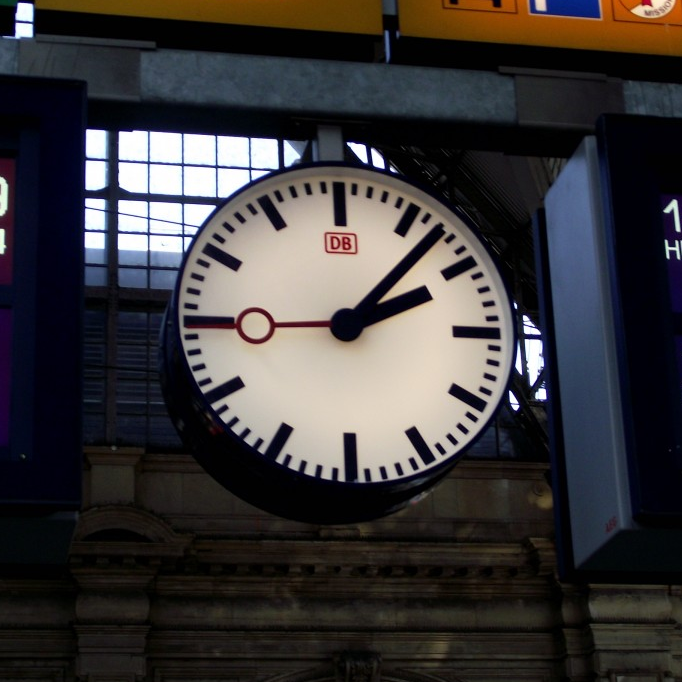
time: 2:07
